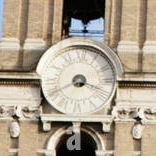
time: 3:40
